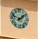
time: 1:47
